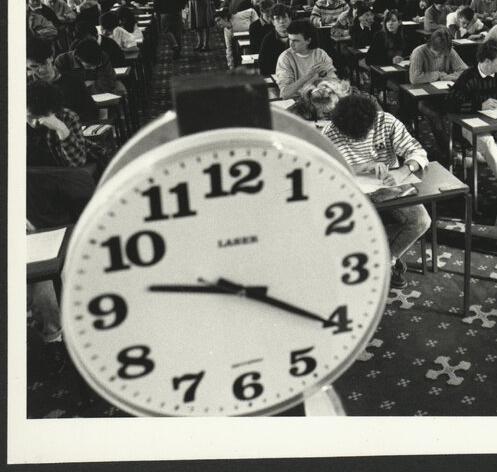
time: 9:20
